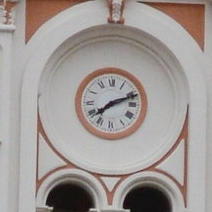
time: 7:11
